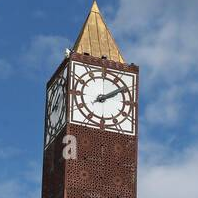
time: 2:09
